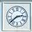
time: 2:38
